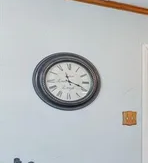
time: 11:18
